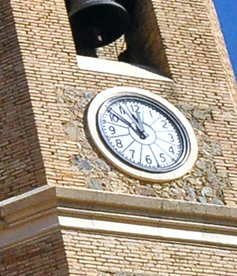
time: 11:50
